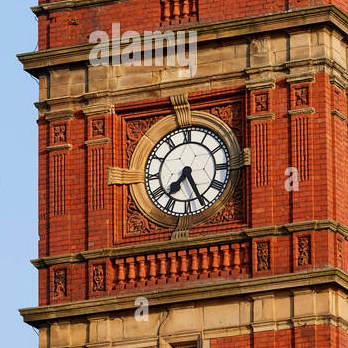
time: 7:25
